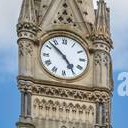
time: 4:52
